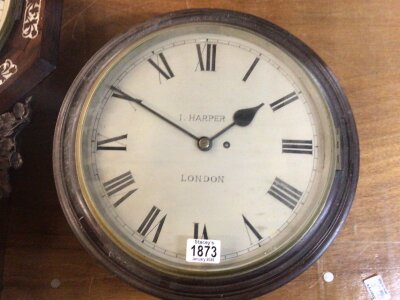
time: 1:50
